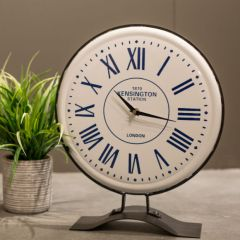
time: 10:16
